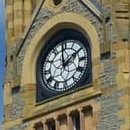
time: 1:59
